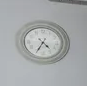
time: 4:34
